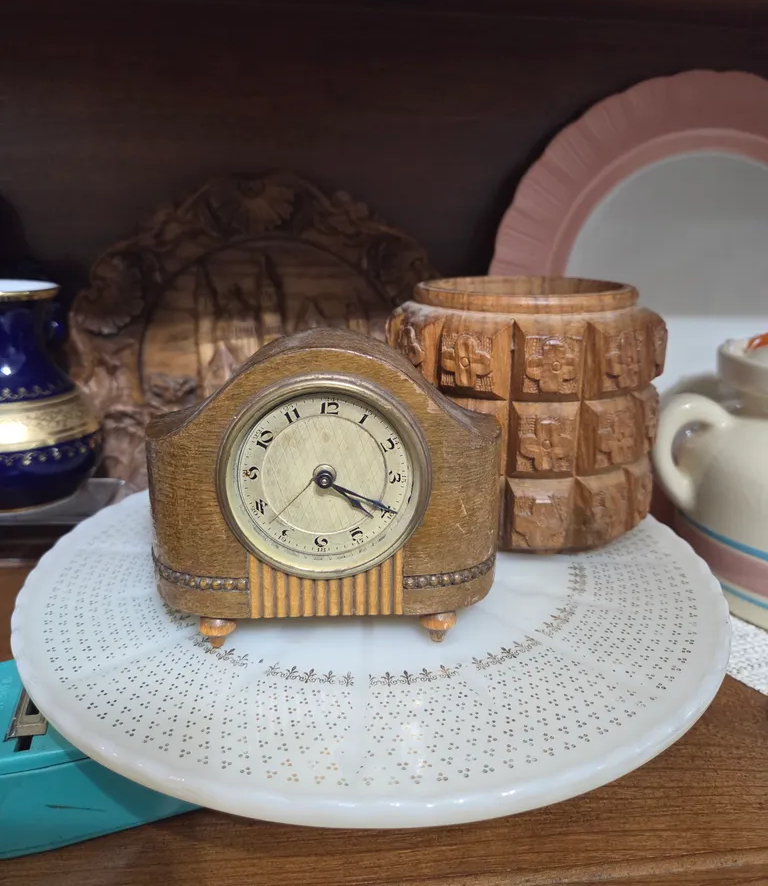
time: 4:19
